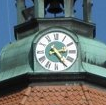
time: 3:24
